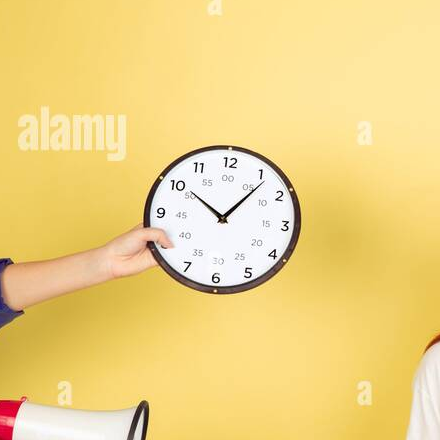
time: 10:06
